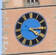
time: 4:14
